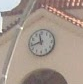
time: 11:42
